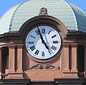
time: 4:56
